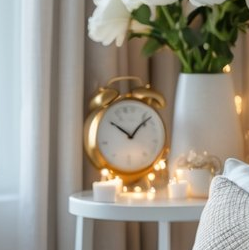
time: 10:07
